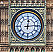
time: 12:14
